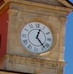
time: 12:23
